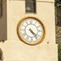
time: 4:23
